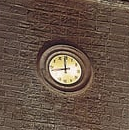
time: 11:42
